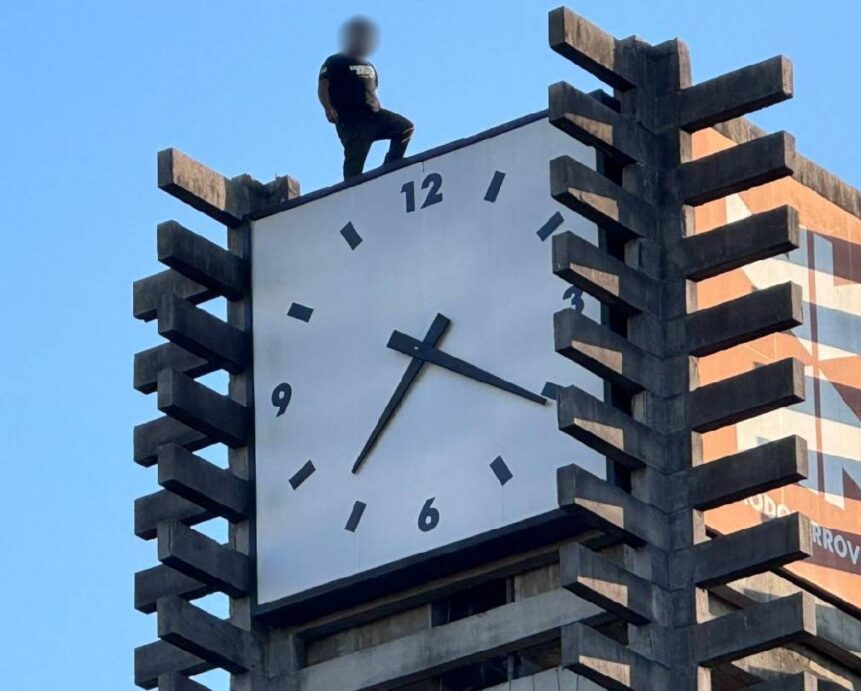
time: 7:20
